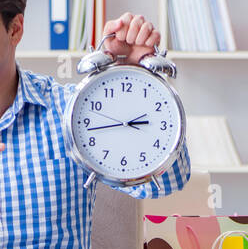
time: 2:42
